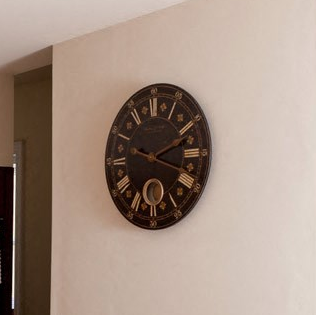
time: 2:18
